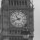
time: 10:42
